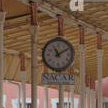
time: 11:09
